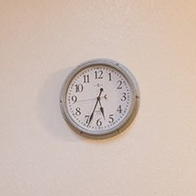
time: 5:33
